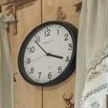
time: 3:53
